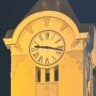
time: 9:17
